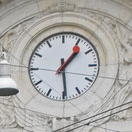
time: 1:29
